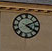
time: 4:10
